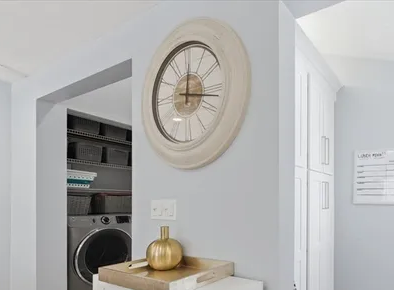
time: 12:16
